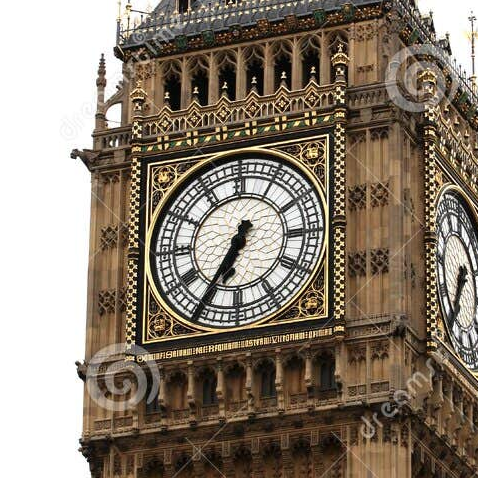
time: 6:34
